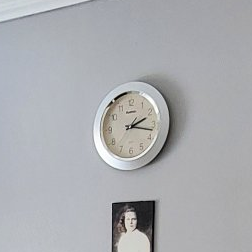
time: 2:17
